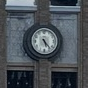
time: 5:23
